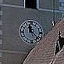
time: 11:22
